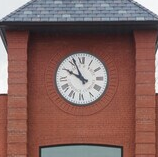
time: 9:55
